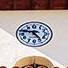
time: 4:47
